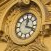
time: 12:18
